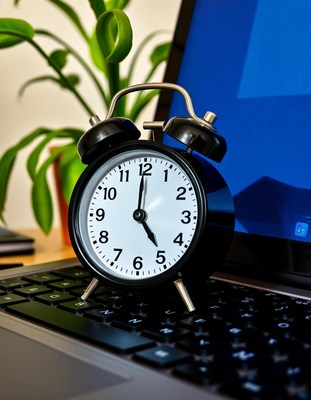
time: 5:00
